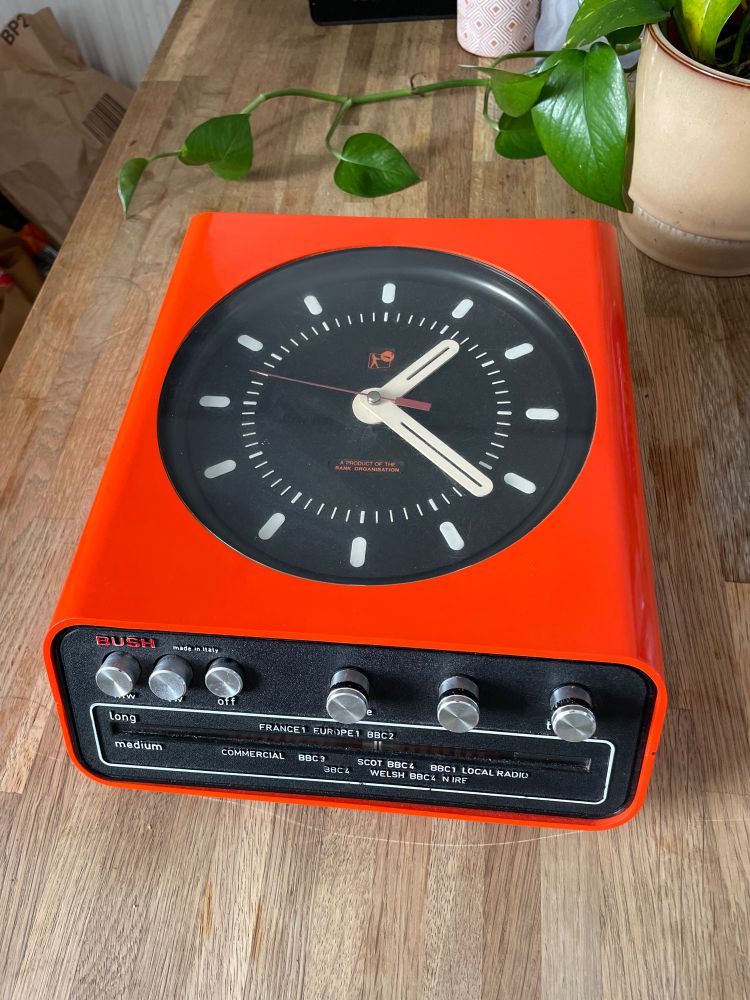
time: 1:21
